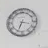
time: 3:33
